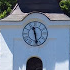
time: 11:28
